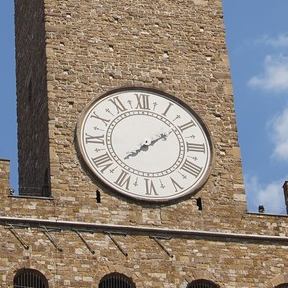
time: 2:09
